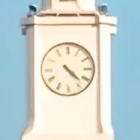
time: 4:22
